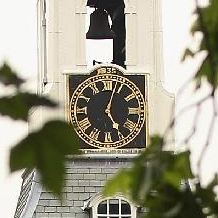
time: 5:03
